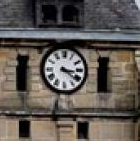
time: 3:21
